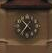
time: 10:36
